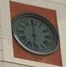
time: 5:59
